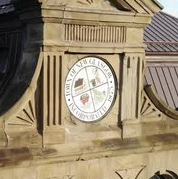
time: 8:12
